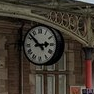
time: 2:52
